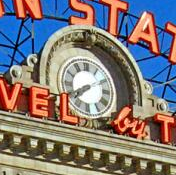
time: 7:40
